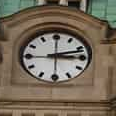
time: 3:12
